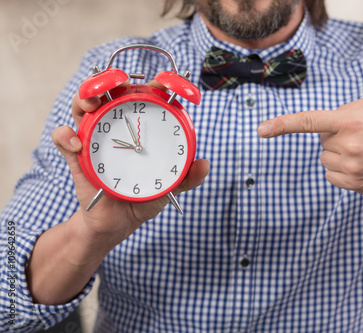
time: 11:46
